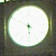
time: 5:49
